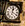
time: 12:19
